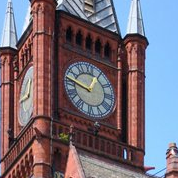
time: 12:46
